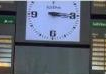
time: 3:15
